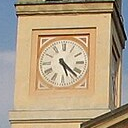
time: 5:22
